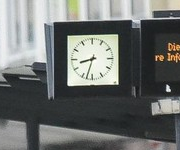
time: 8:32
